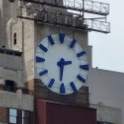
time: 2:31
